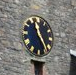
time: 11:24
